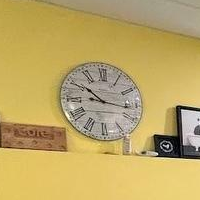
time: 10:16
